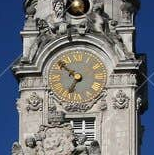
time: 6:51
